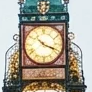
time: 10:18
